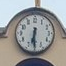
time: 6:29
